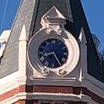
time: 8:24
